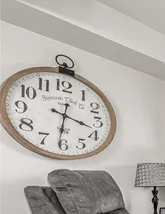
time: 3:31
